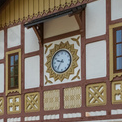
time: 9:35
